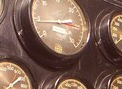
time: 2:44
